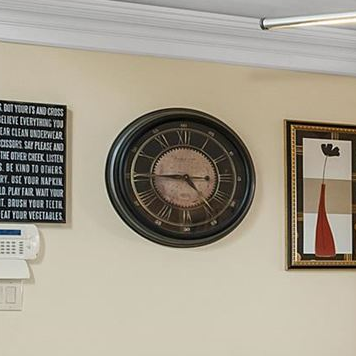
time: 4:45
